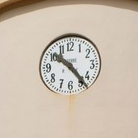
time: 10:23
